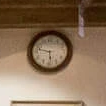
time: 5:47
